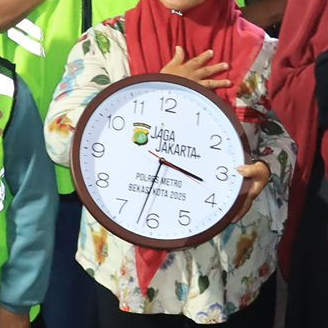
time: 3:32
